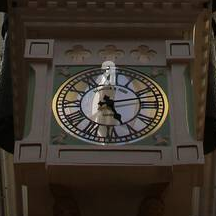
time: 5:11
